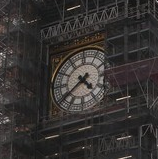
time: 4:38
